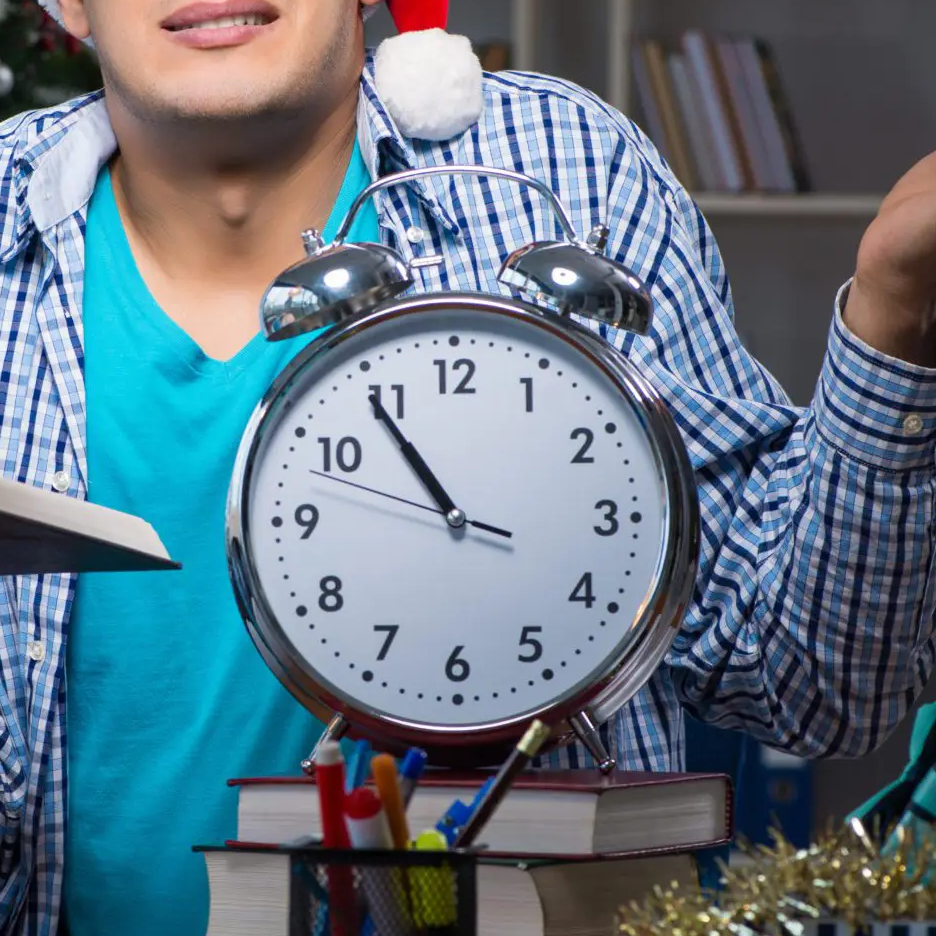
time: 10:54
